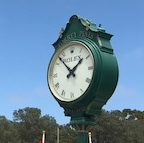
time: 1:52
